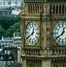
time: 12:39
